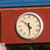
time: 5:51
